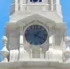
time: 1:20
